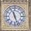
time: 11:26
